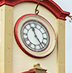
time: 11:22
